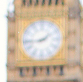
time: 1:43
